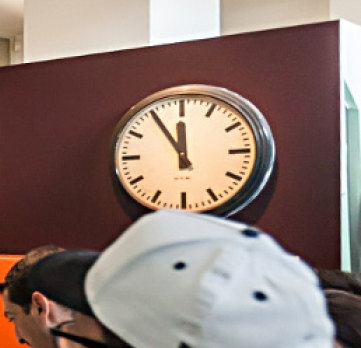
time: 11:54
